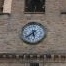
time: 5:38
